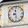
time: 8:27
